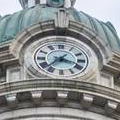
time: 3:37
